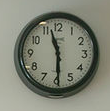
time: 11:29
